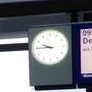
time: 9:44
